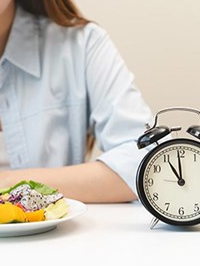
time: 10:59
